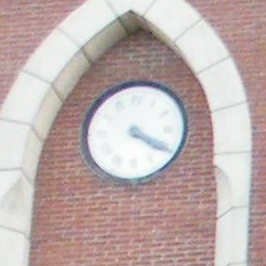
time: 4:20
